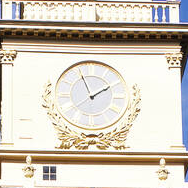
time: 1:56
